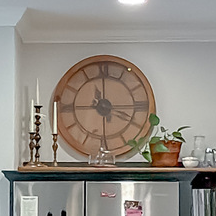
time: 11:44
